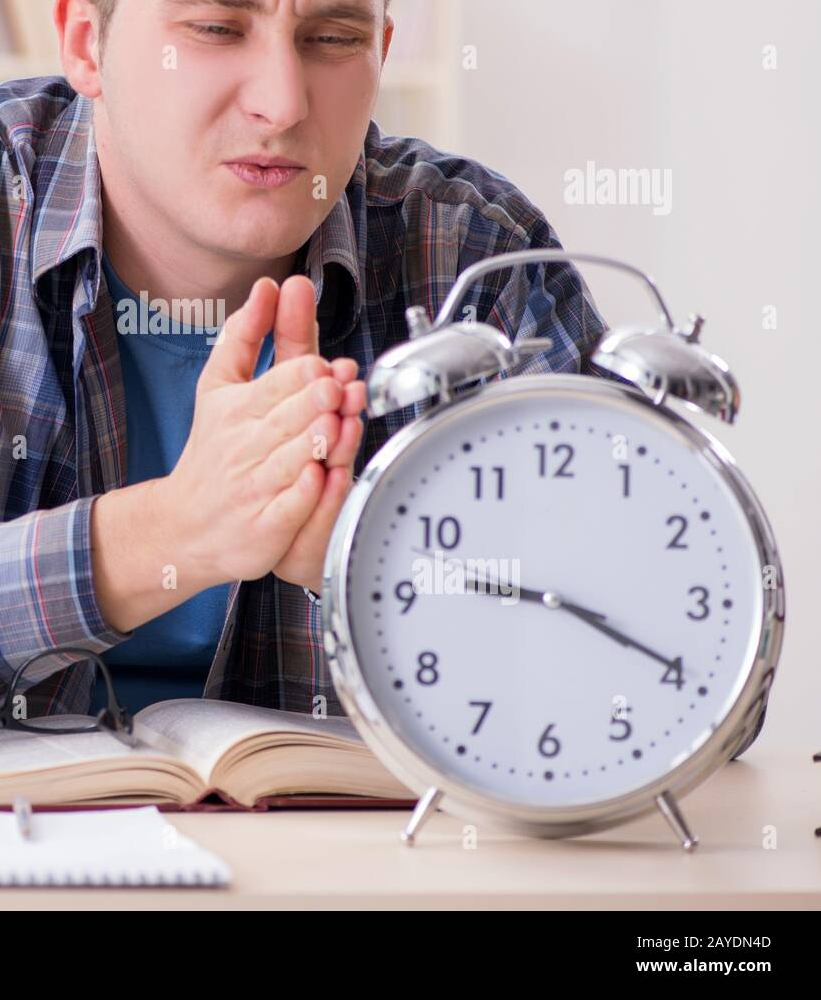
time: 9:19
